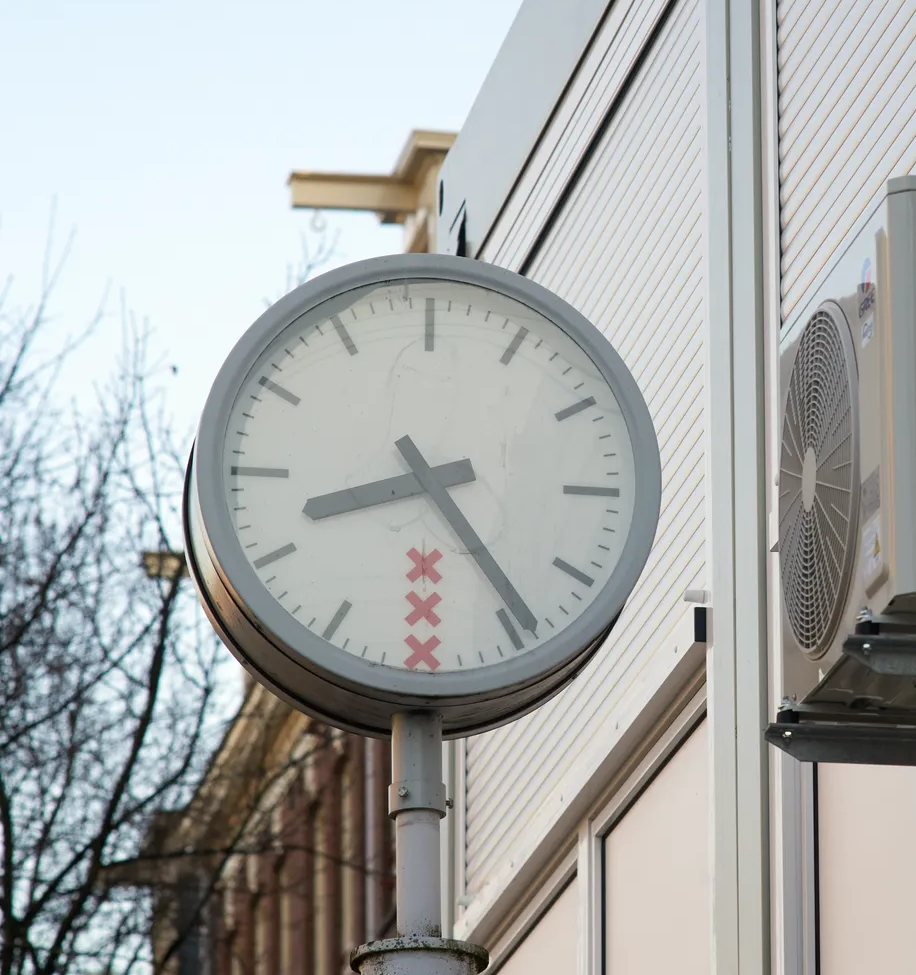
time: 8:24
